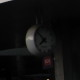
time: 7:52
